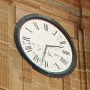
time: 2:32
